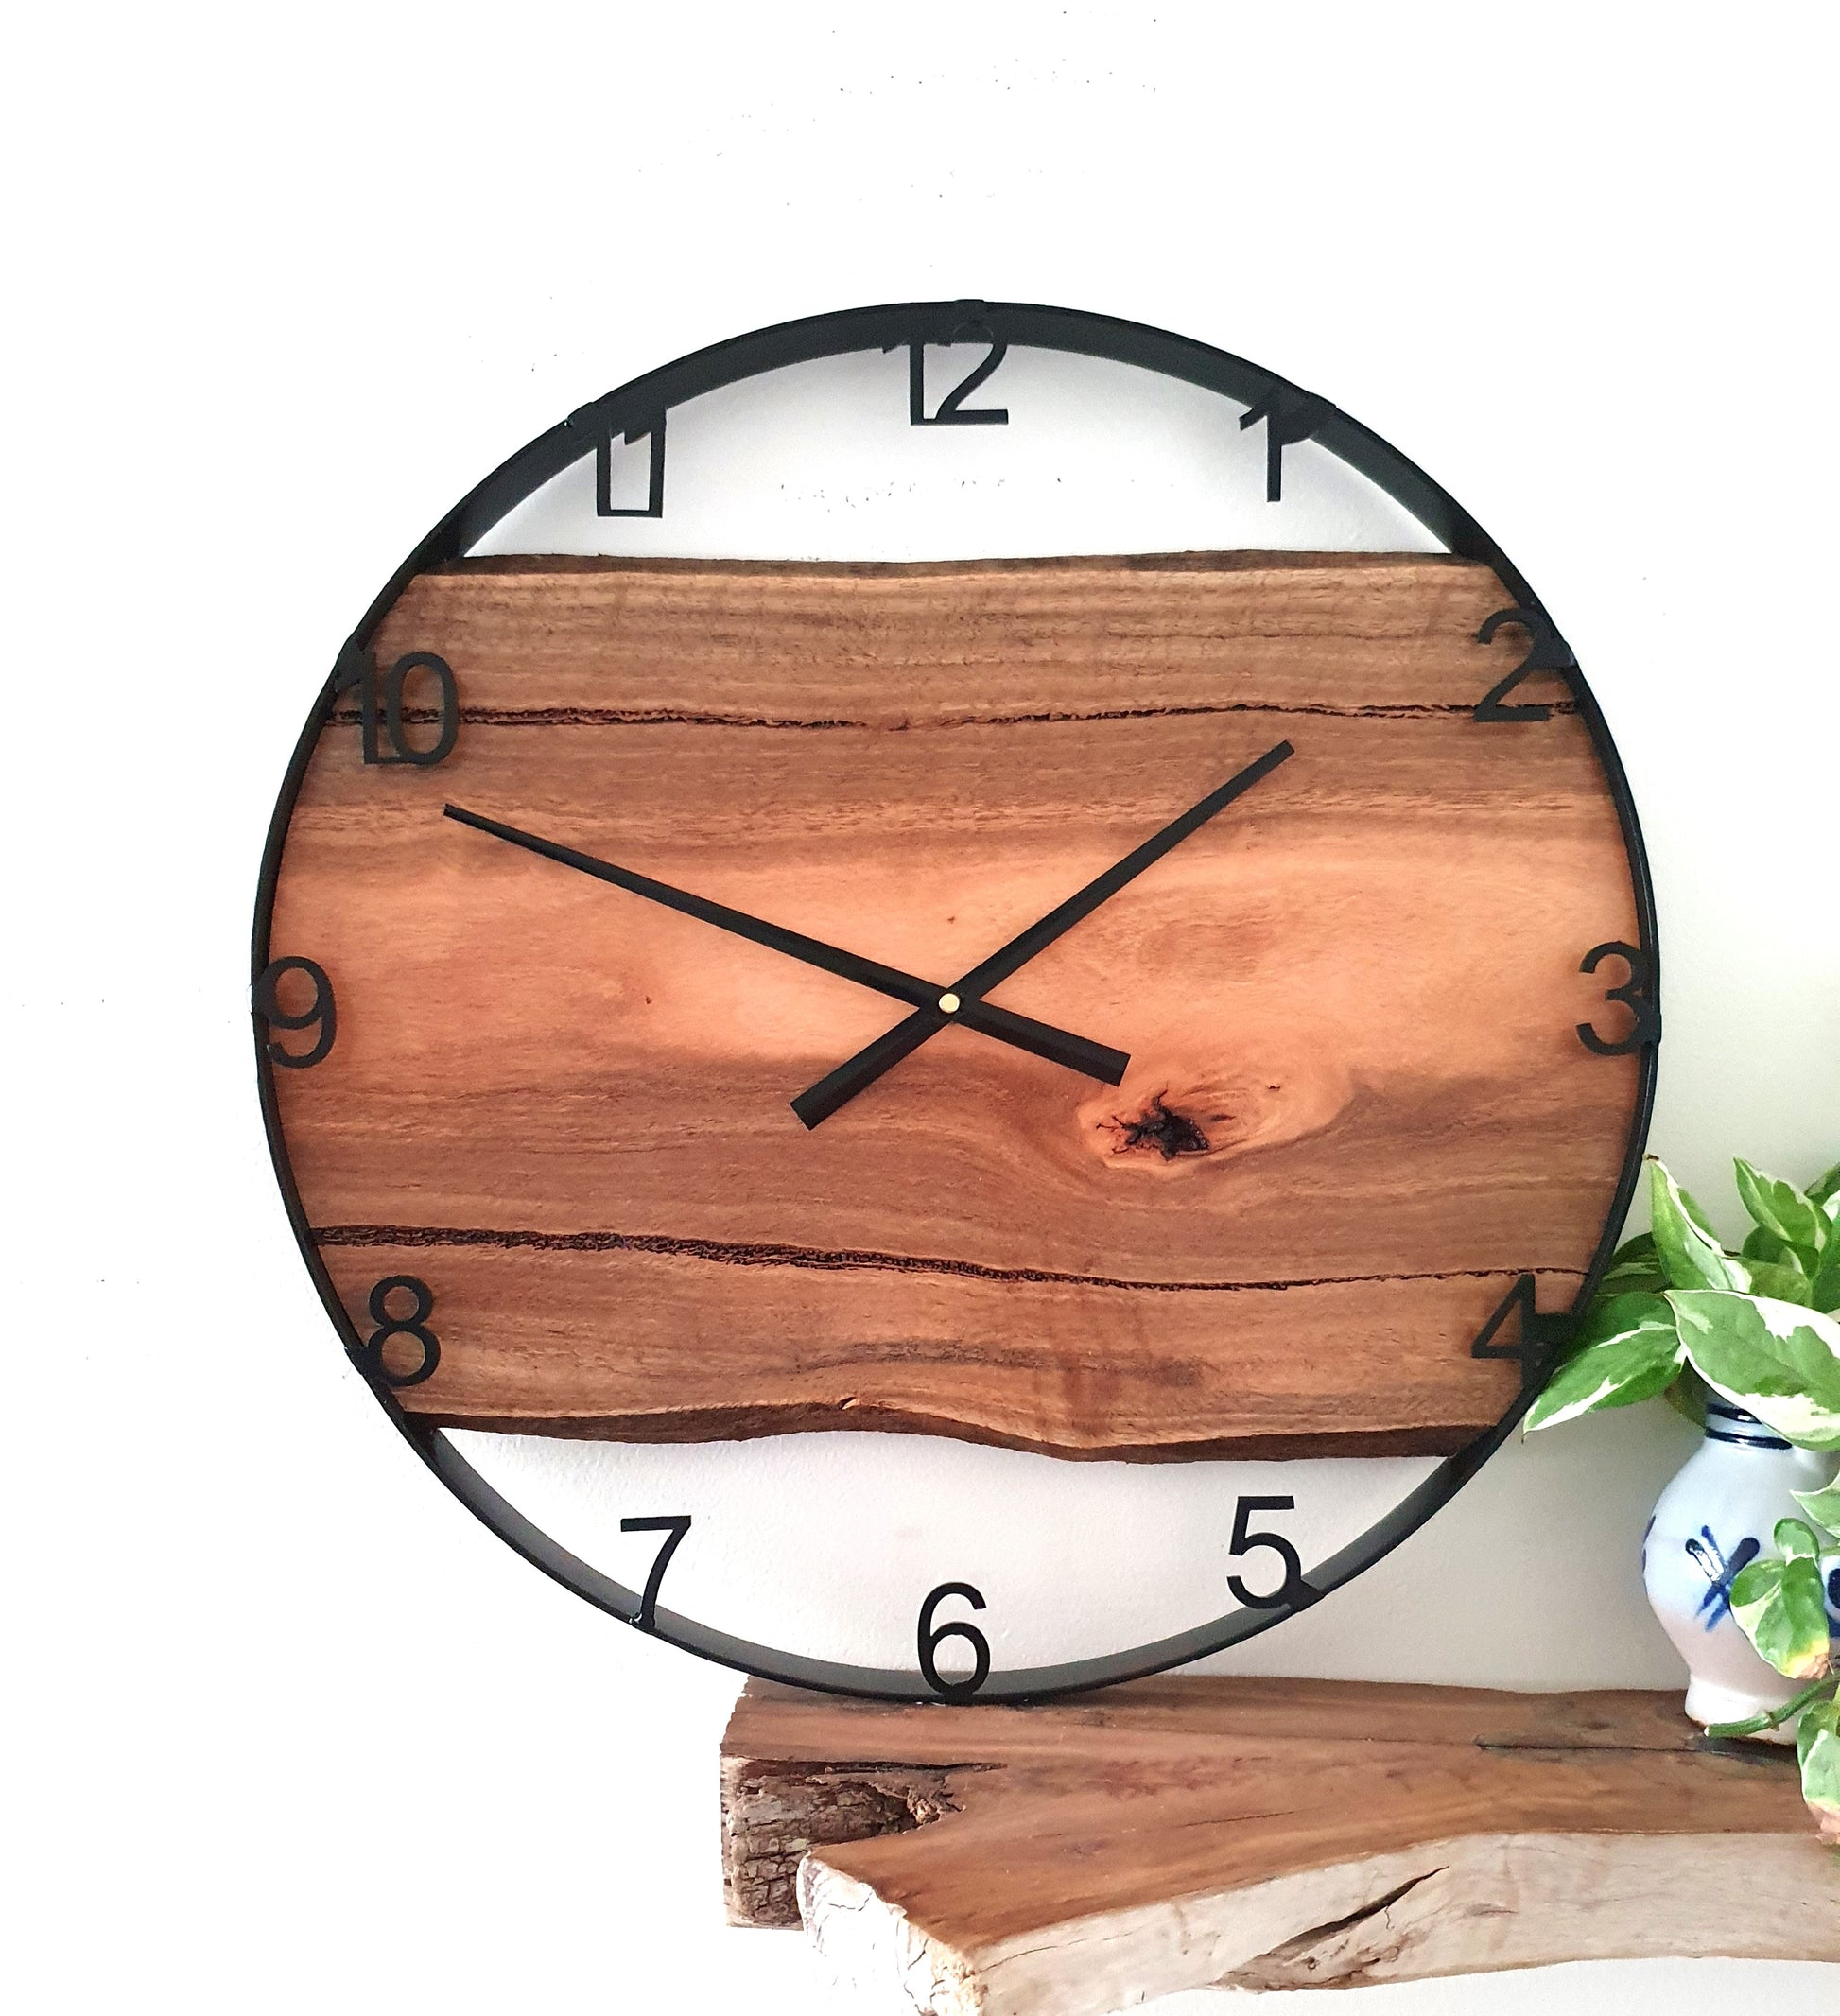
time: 1:49
